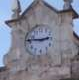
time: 2:46
